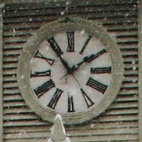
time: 1:54
